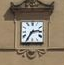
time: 2:35
